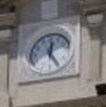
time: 12:24
